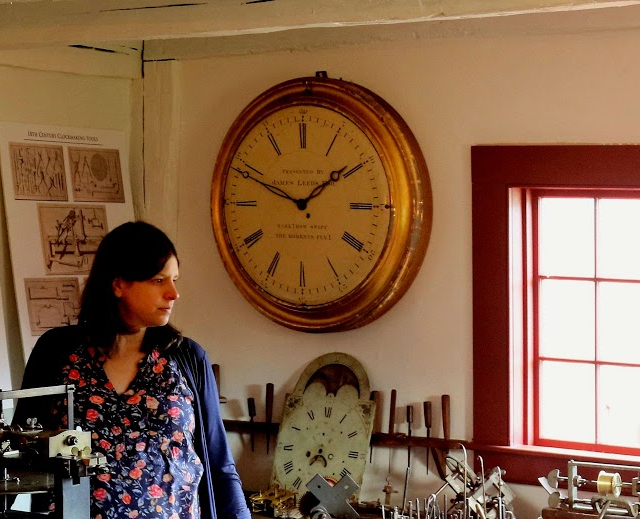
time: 1:48
